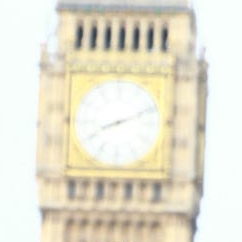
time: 8:11
